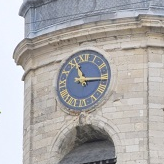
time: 11:15
